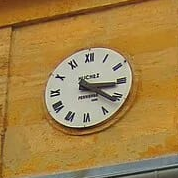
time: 4:15
